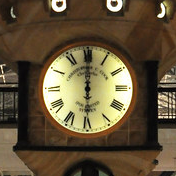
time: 5:59
